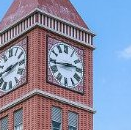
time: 2:43
